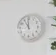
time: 10:59
